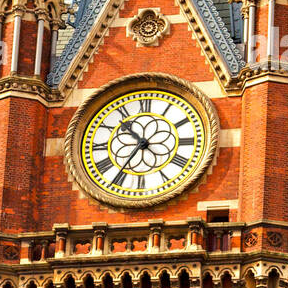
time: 10:35
